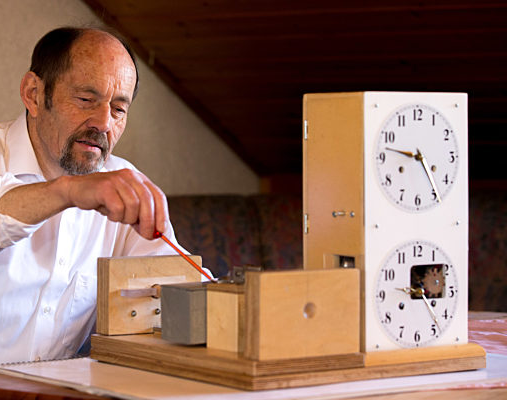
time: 4:46
